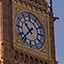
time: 10:37
